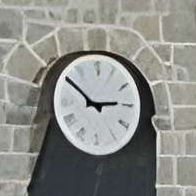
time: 2:51
